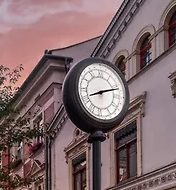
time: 8:12
